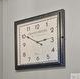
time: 2:50
